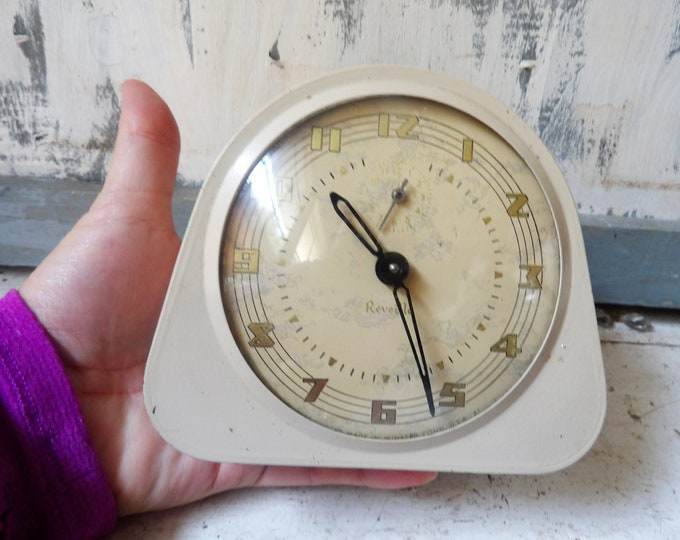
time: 10:26
